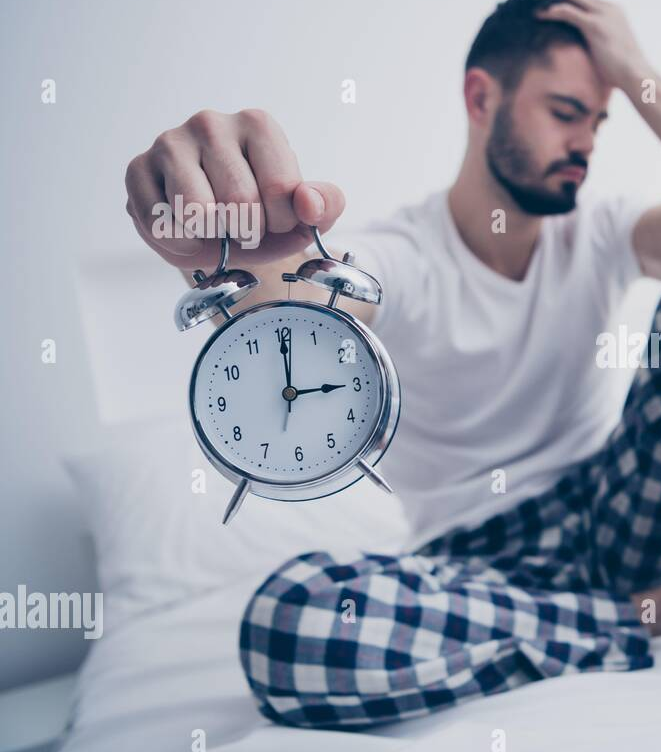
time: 3:00
